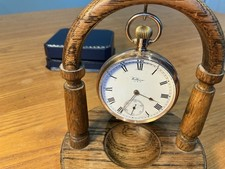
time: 3:34
